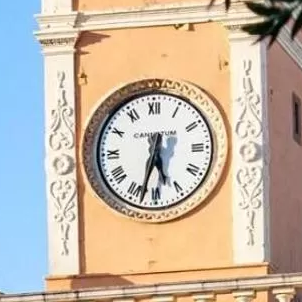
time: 5:32
